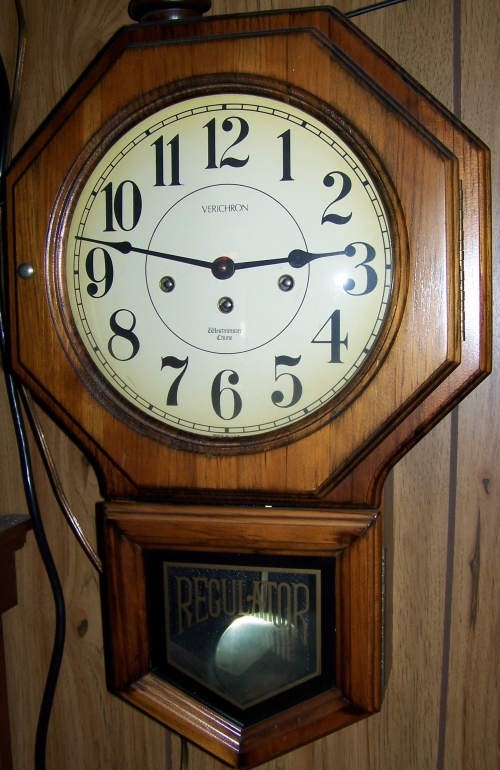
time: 2:46
